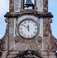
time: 11:51
